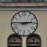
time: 2:45
